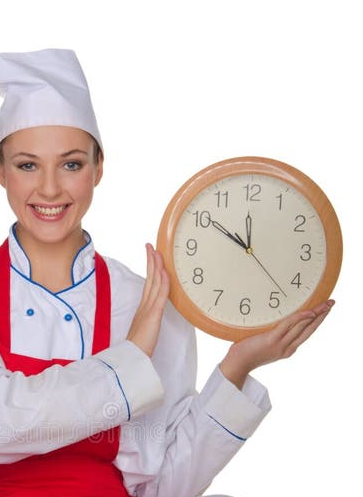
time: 11:50
